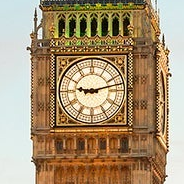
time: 9:12
